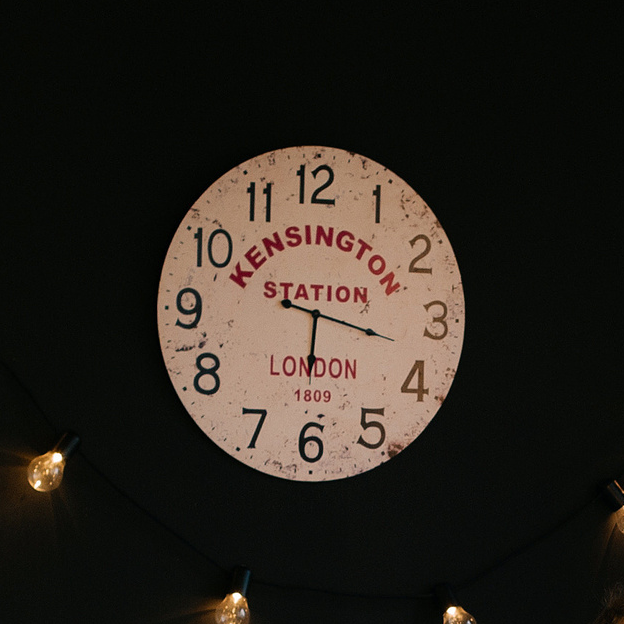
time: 6:17
